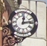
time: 12:13
